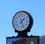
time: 1:26
